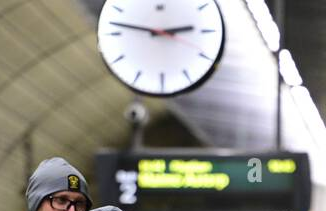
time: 2:46
